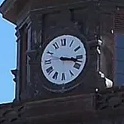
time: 3:17
